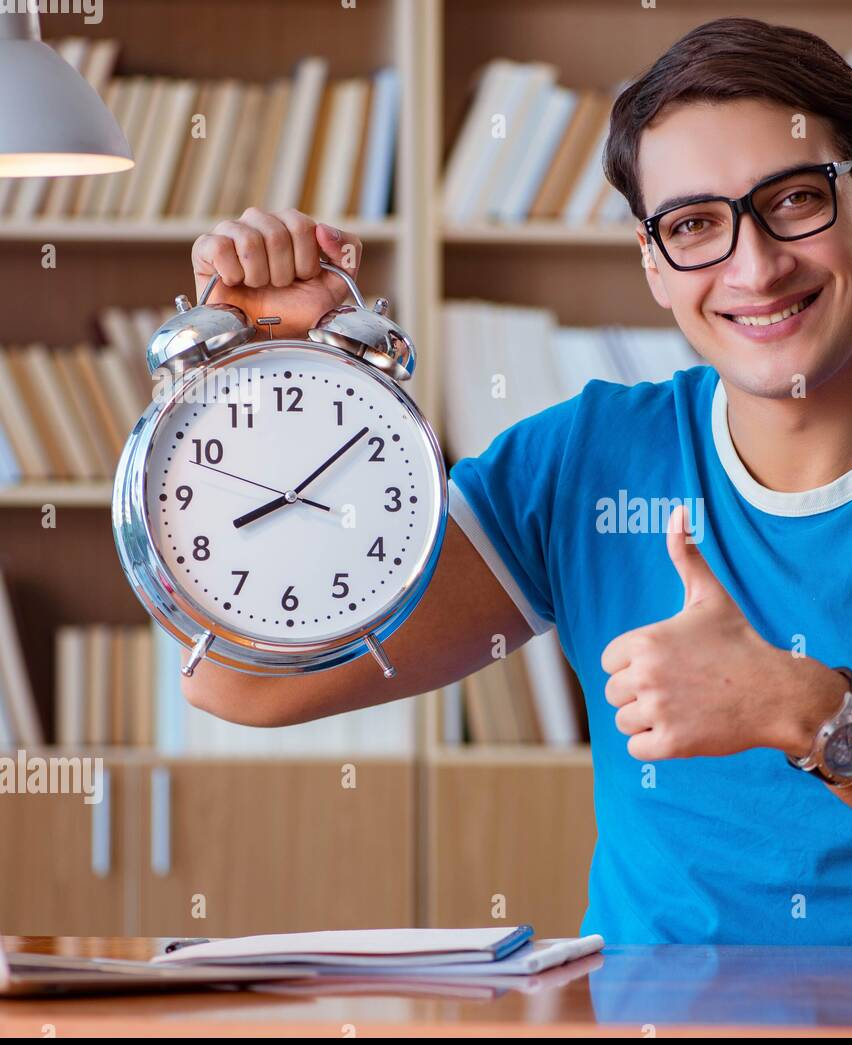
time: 8:08
